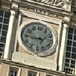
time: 9:08
